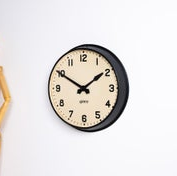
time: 1:50
